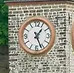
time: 1:26
